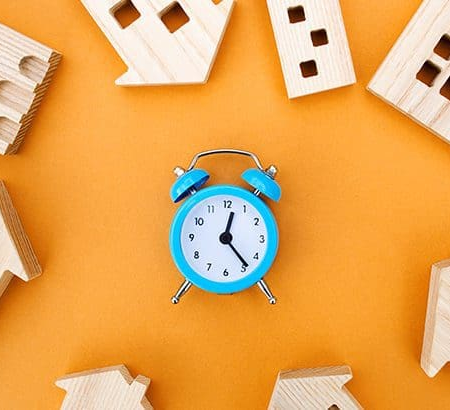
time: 12:23
